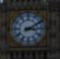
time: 3:10
